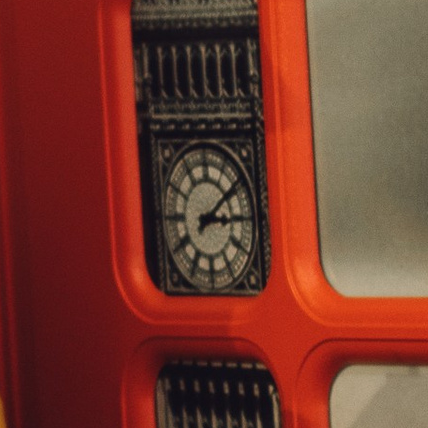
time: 3:09
